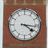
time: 4:16
